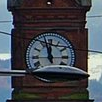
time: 11:57
